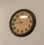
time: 10:45
